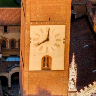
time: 8:01
